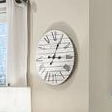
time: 3:04
